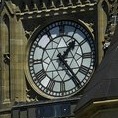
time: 1:23
